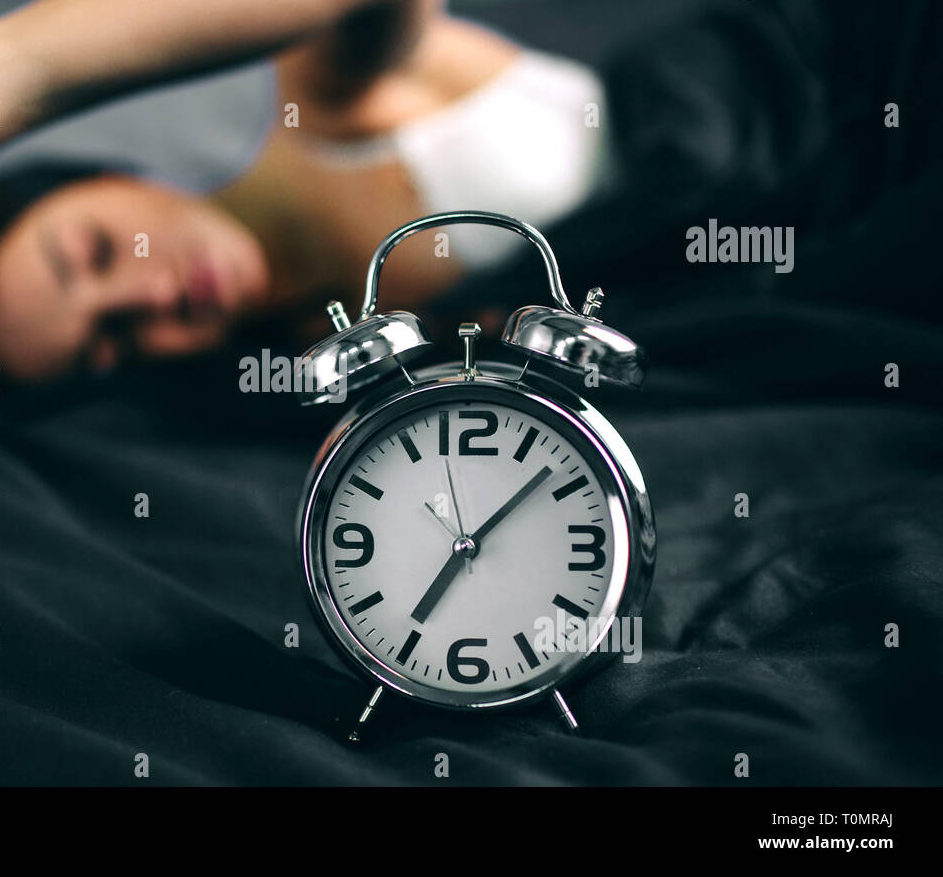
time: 7:07
